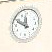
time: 11:49
